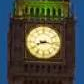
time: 8:16
